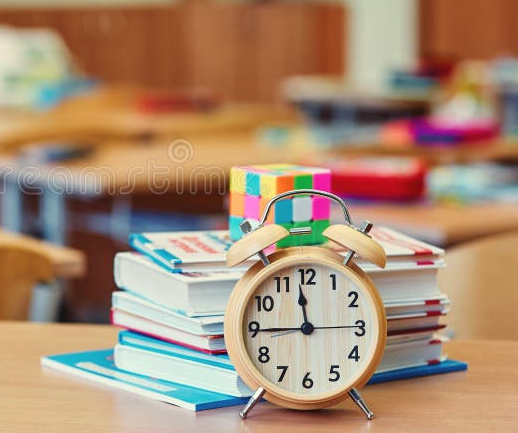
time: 11:44
